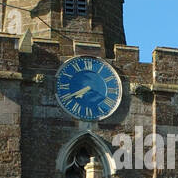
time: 7:40
